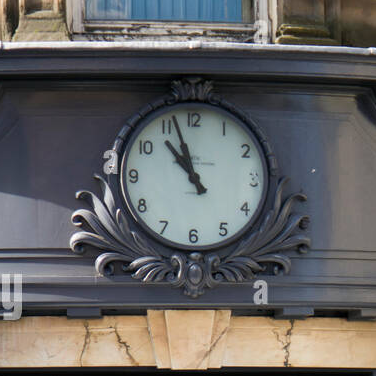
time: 10:57
